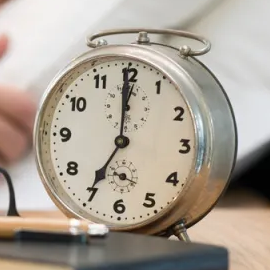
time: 7:00
